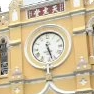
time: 5:26
